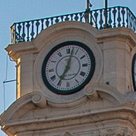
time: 7:02
